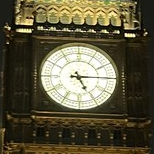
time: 5:14
